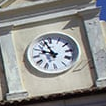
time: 9:56
